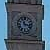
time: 11:17
